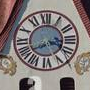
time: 3:40
